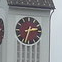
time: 2:32
